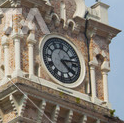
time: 4:12
